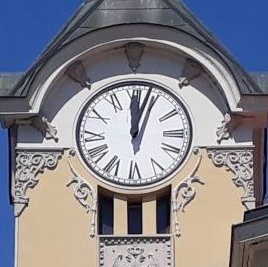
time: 12:03
